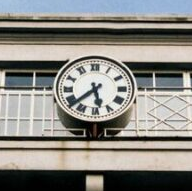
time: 5:38
